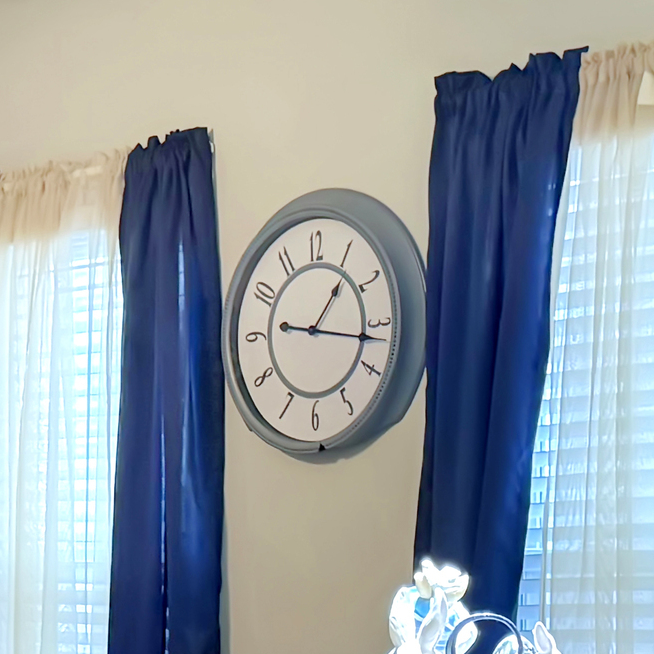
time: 1:16
